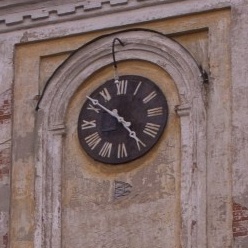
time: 4:51
